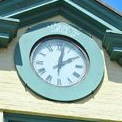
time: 2:02
